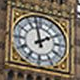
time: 1:57
